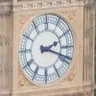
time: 2:18
